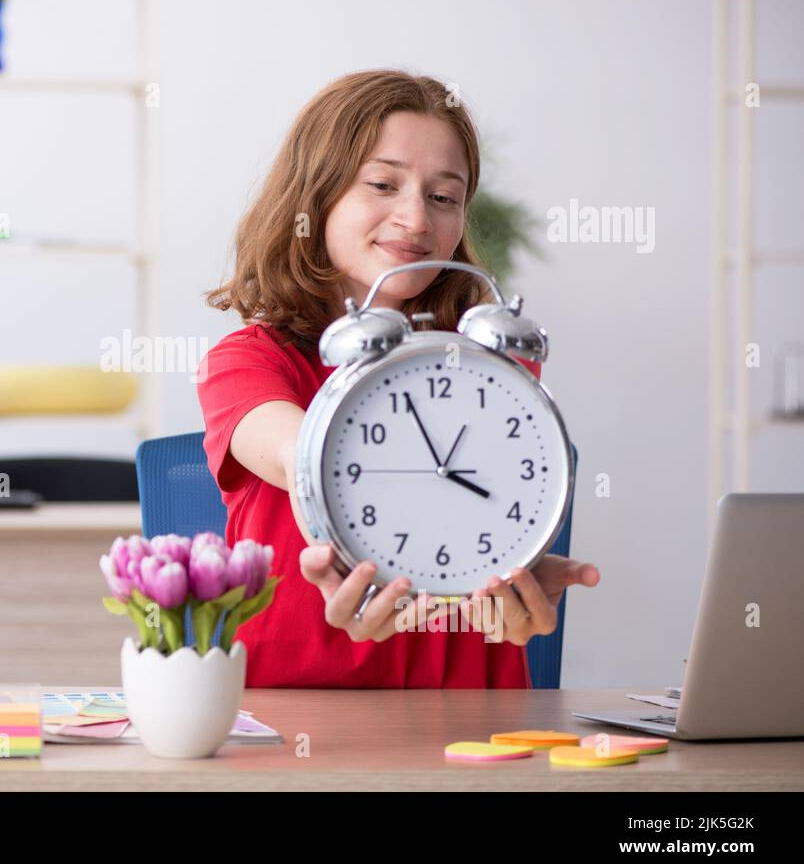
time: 3:56
